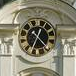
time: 12:34
